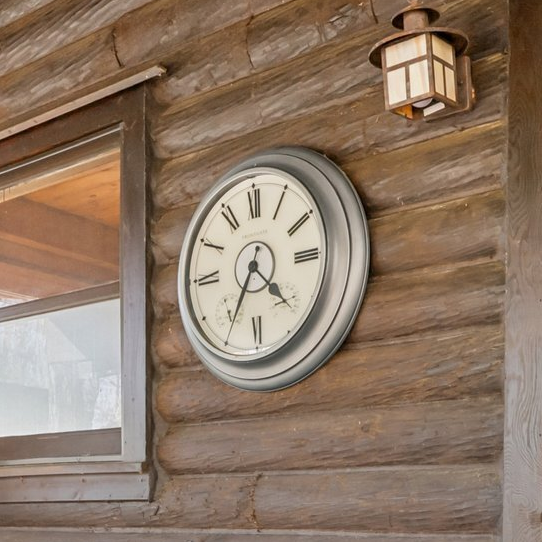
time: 4:35
